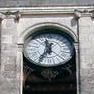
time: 11:35
